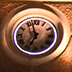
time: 6:57
